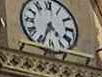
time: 4:33
